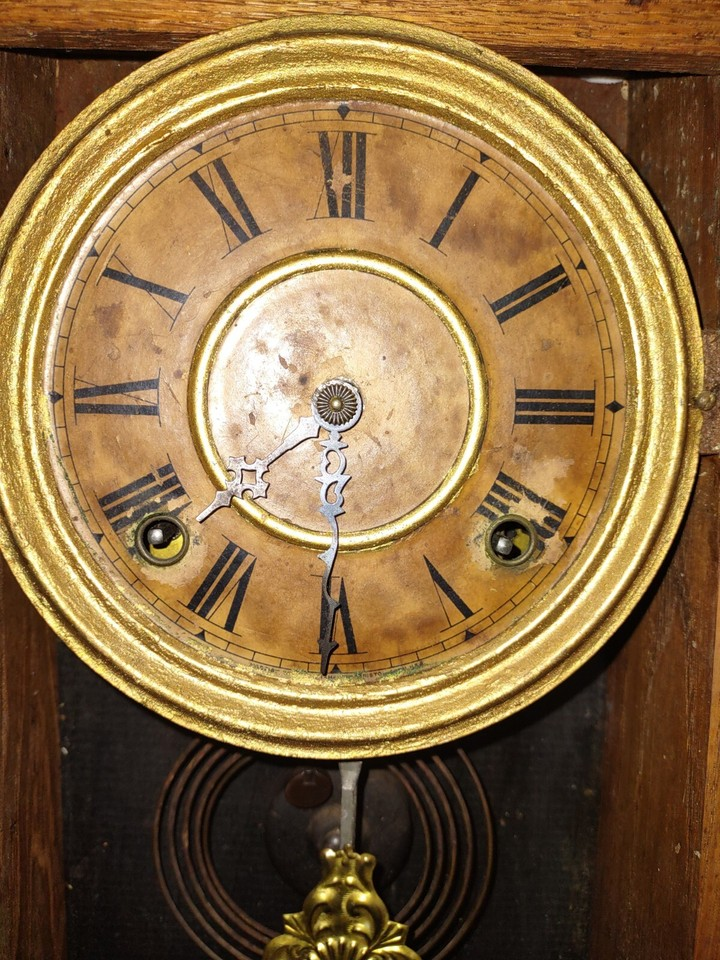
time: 10:37
